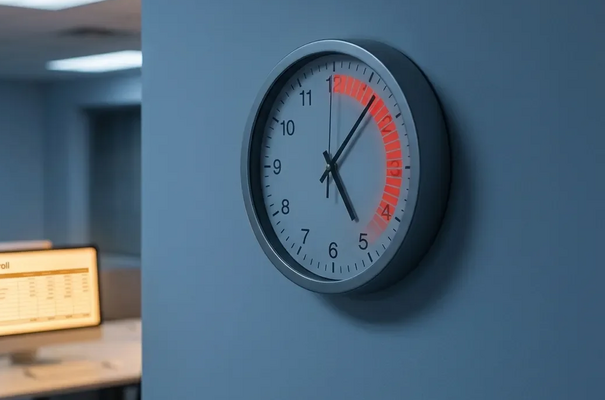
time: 5:06
